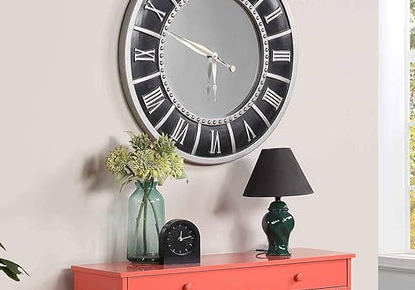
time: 5:47
